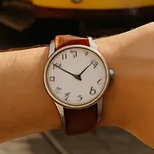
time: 1:50
